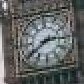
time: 2:39
